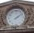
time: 2:09
